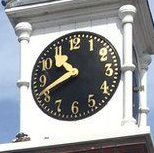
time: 10:41
